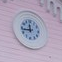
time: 11:43
